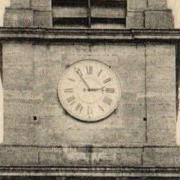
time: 2:54
